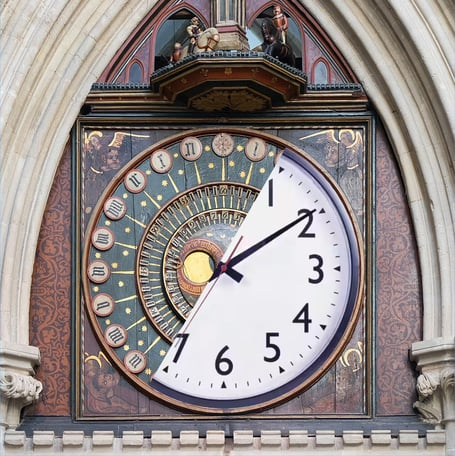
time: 7:09
